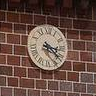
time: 3:22
